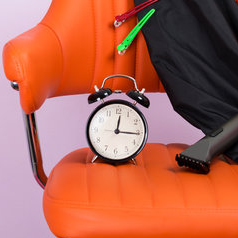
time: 12:15
